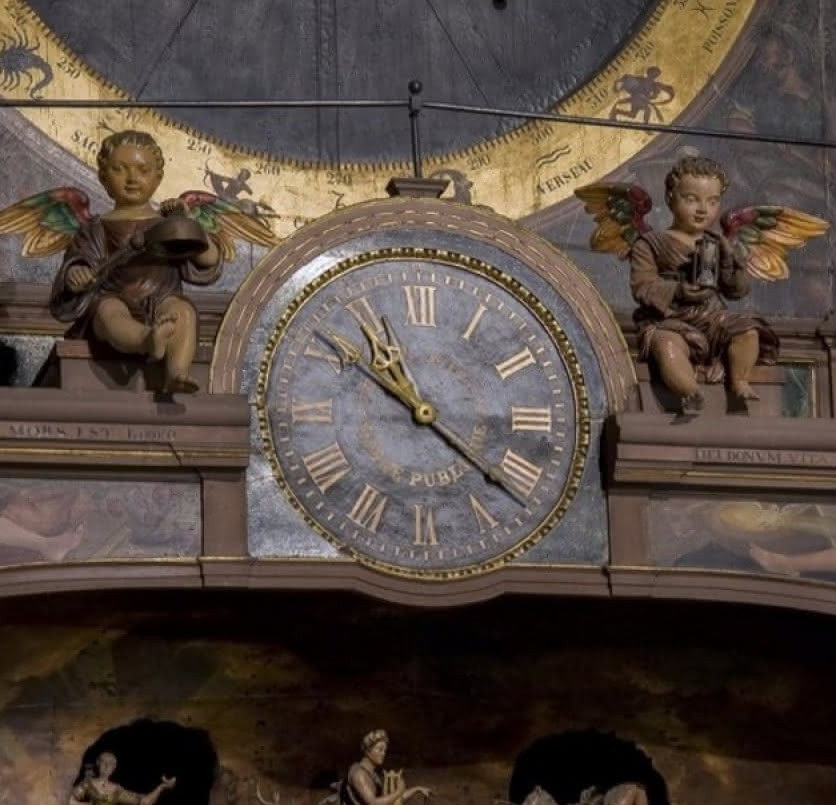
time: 10:21
